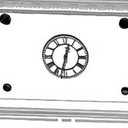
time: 12:32
